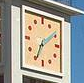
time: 1:34
